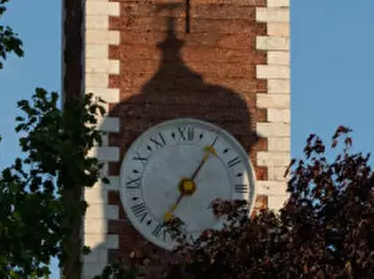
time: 7:06
